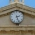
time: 2:26
